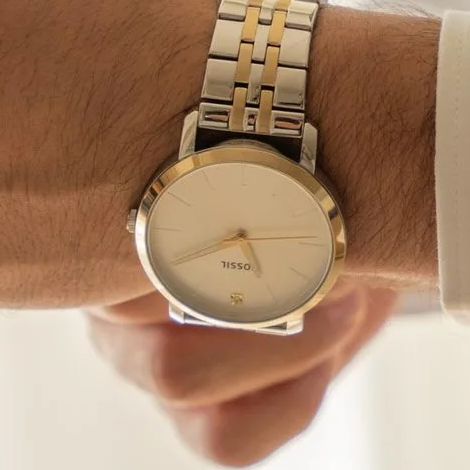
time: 4:40
